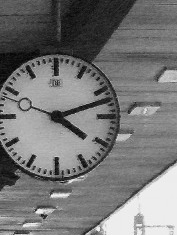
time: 4:12
